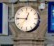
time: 12:45
